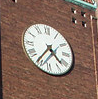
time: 4:36
